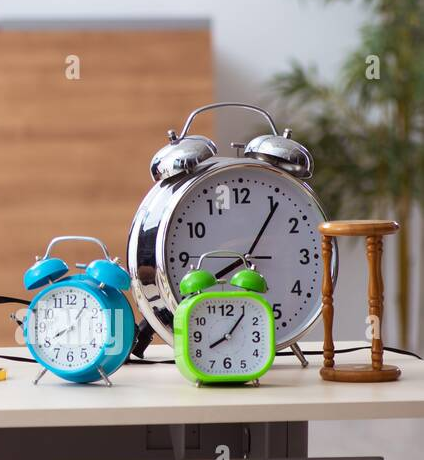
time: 8:06
